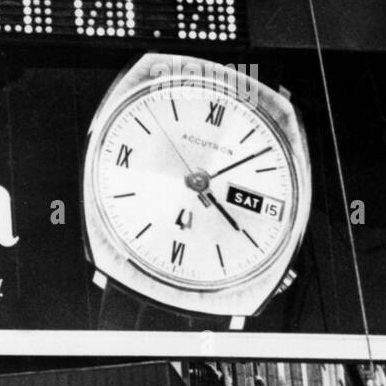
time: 4:07
